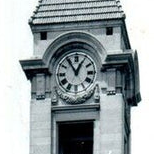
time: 12:54
